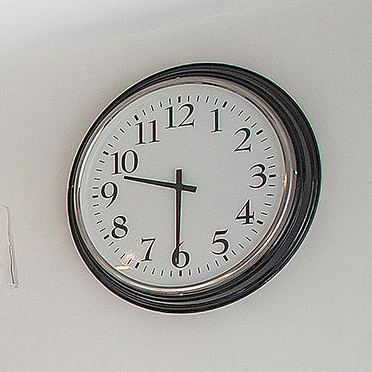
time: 9:30
